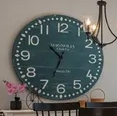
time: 10:34
